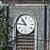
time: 10:45
